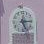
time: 5:14
